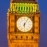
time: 6:05
